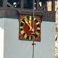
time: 11:51
